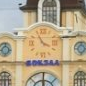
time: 3:54
